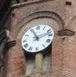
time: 11:12
